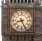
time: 8:26
